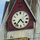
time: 4:37
